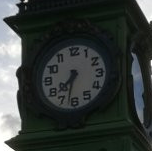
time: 7:32
